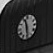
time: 11:28
